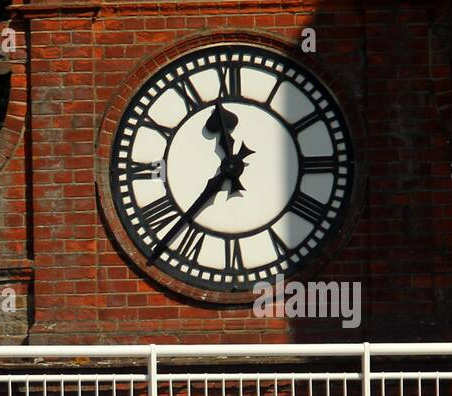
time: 11:36
